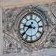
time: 9:38
